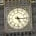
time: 5:15
